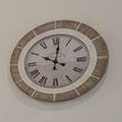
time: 10:01
